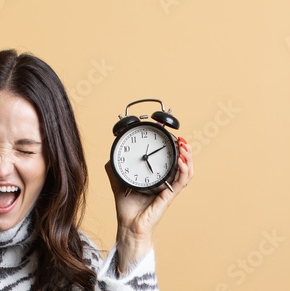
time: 5:11
